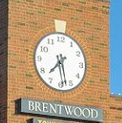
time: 7:27
